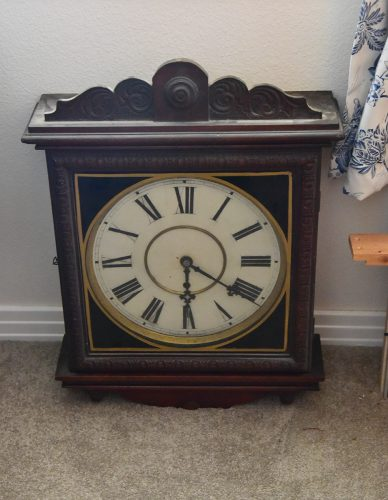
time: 6:20
